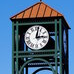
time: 3:01
